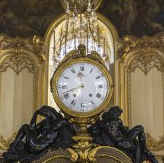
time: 11:41
